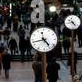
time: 4:42
